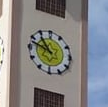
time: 10:48
